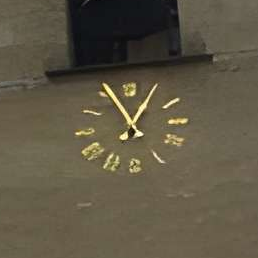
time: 12:55
